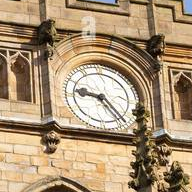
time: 9:23
